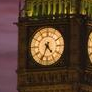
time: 4:34
